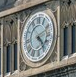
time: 4:23
